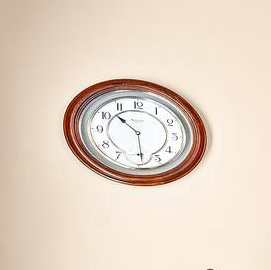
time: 10:28
